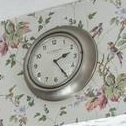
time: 2:24
